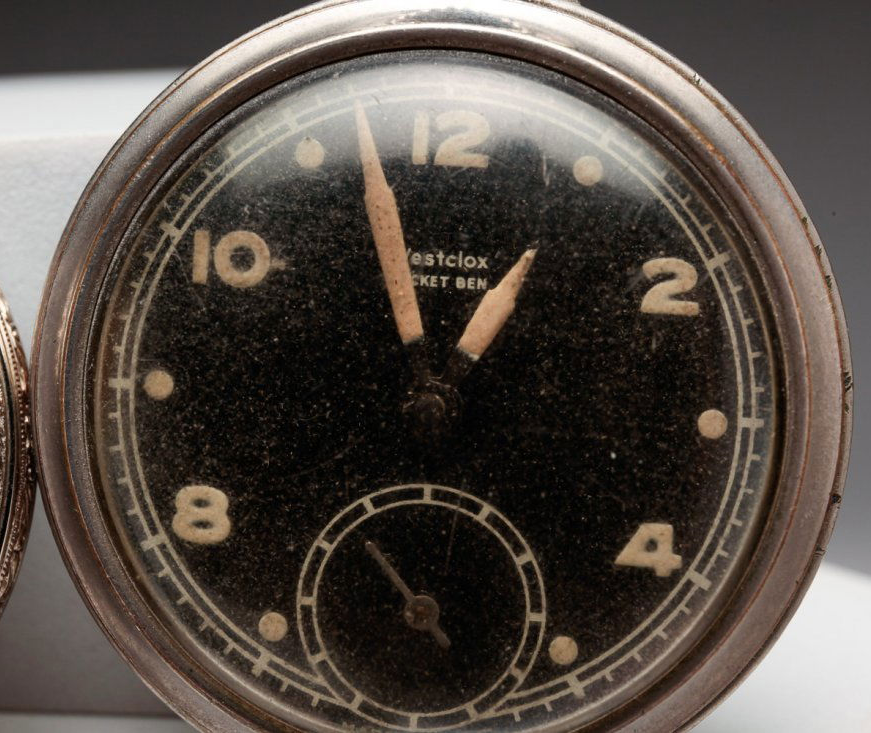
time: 12:57
